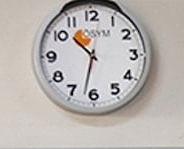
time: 10:32
